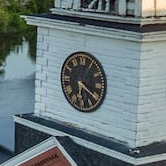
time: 6:20
